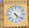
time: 5:21
